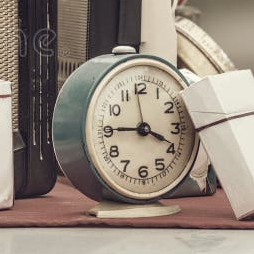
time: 3:45
